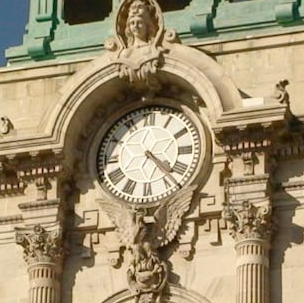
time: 4:22
